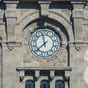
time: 11:37
